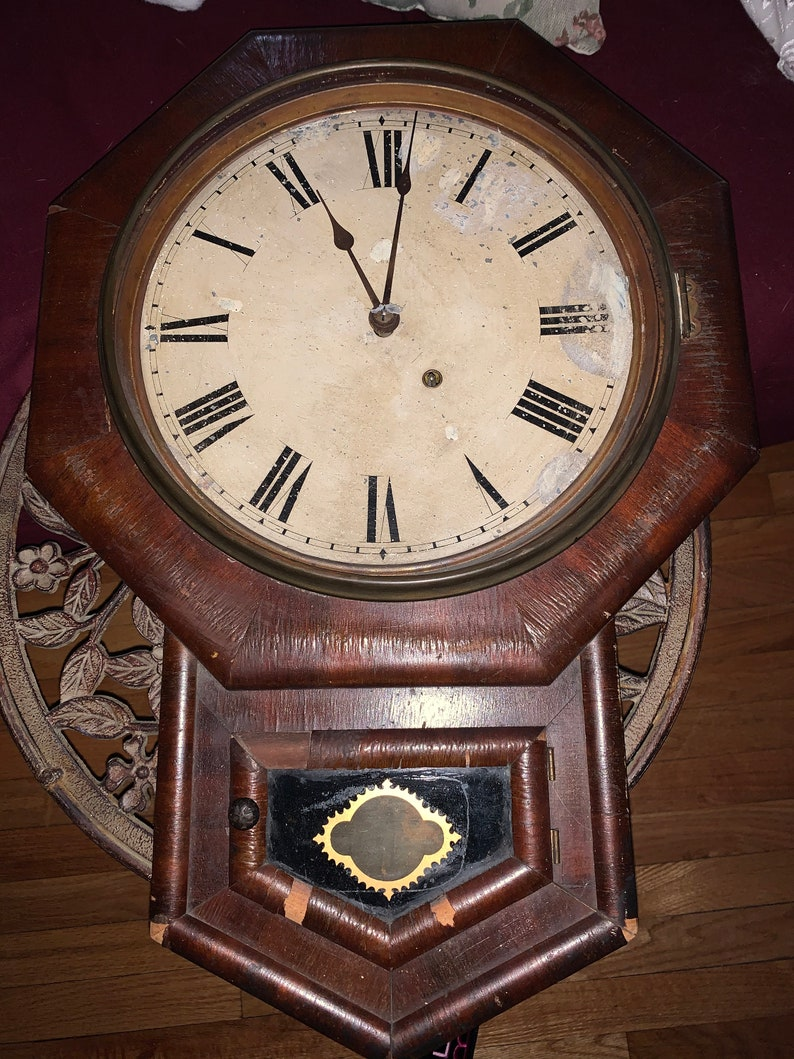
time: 11:01
